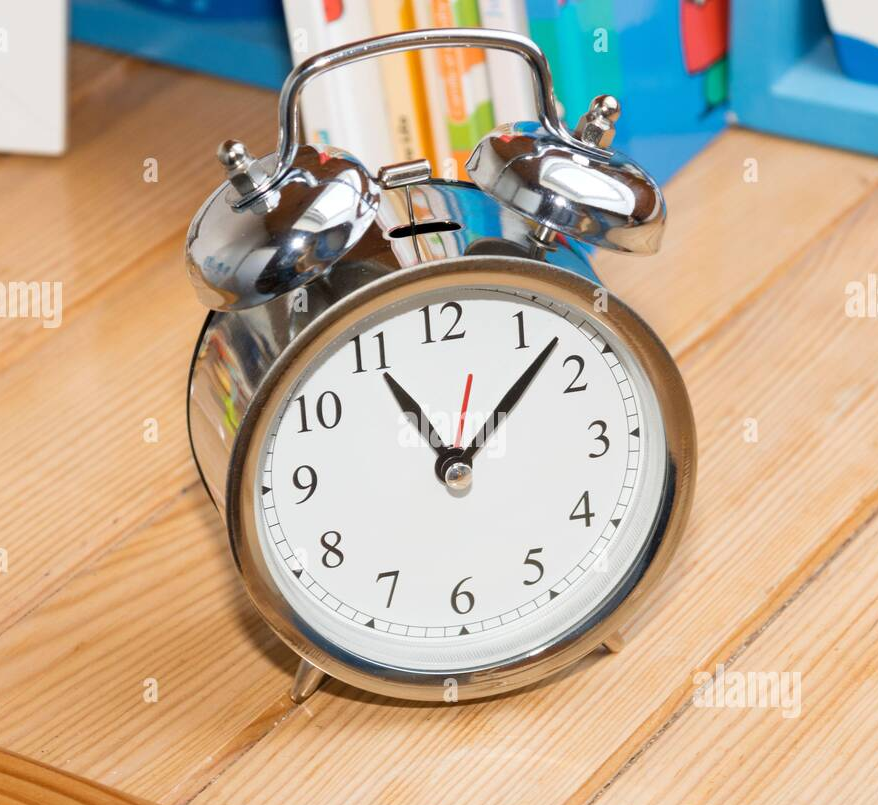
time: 11:07
